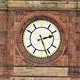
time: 2:26
